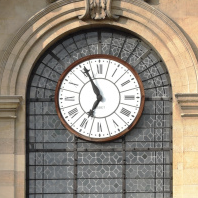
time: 6:55
